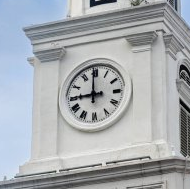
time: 8:59
